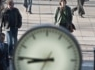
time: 8:45
